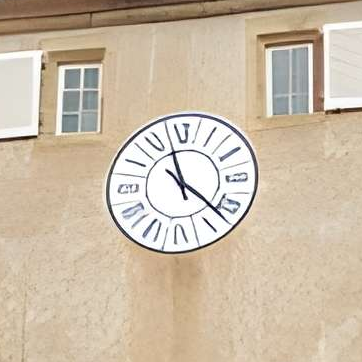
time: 11:21
